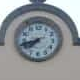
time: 7:42
